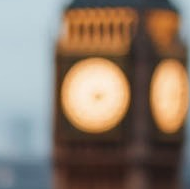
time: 4:12
